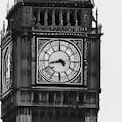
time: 4:43
